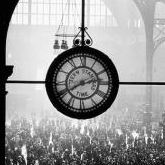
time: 2:40
